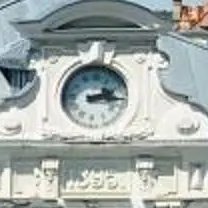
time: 2:14
